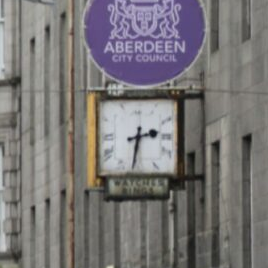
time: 2:31
